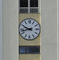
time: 9:42
